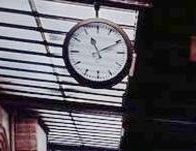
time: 11:10
